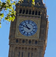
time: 10:48
